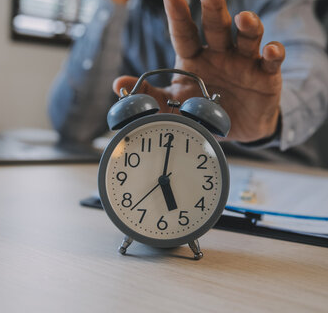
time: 5:01
